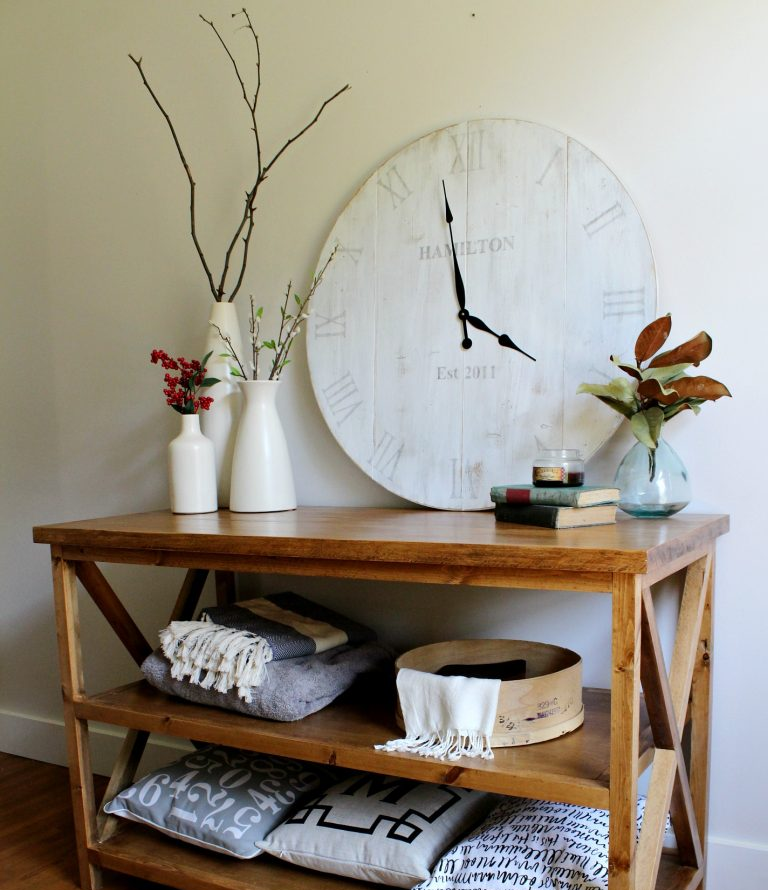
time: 3:58
